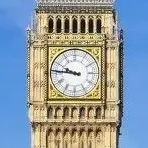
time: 9:46
